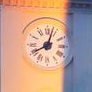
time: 8:03
